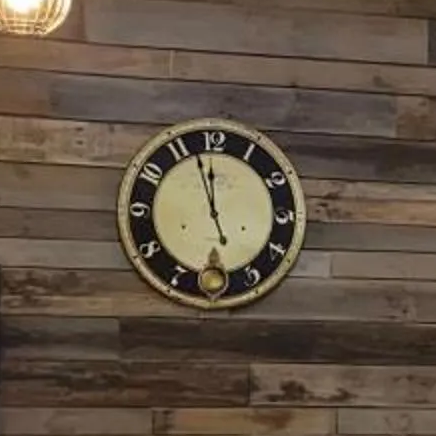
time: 11:57
